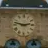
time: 2:47
